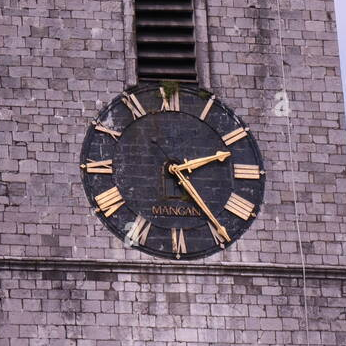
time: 2:24
